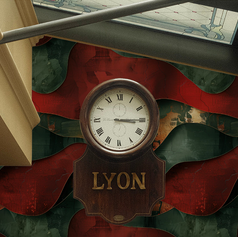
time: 3:14
